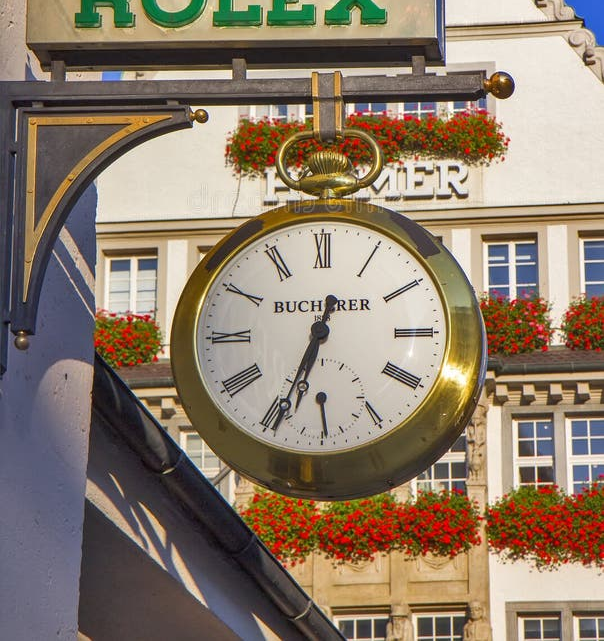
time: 12:33
